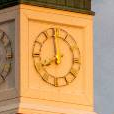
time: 7:58
